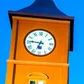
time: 6:46
